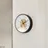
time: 2:24
